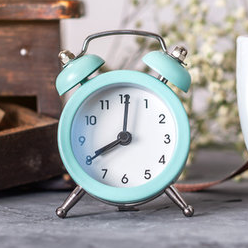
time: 8:01
